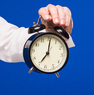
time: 7:01
